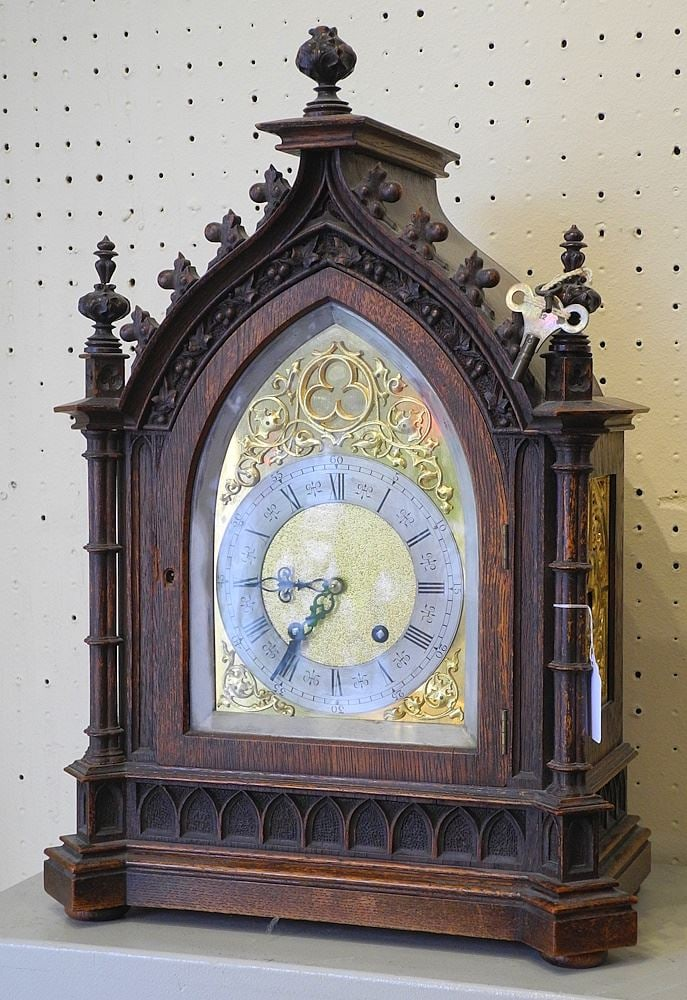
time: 8:36
